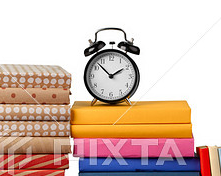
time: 1:52
